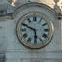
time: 5:48
